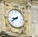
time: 8:38
